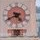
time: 4:40
